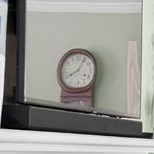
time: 8:04
